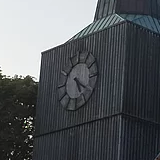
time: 5:20
